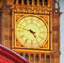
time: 4:47
